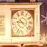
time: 9:22
